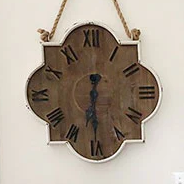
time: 6:29
